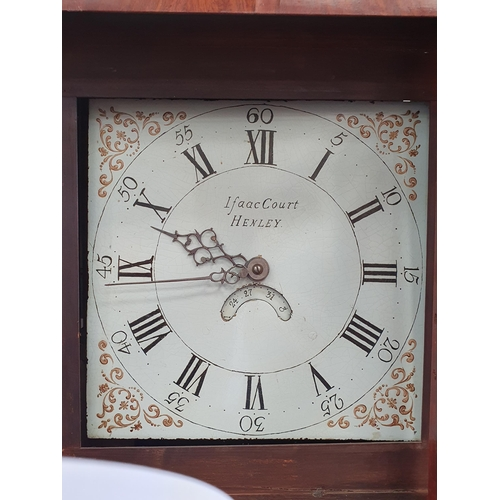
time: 9:43
